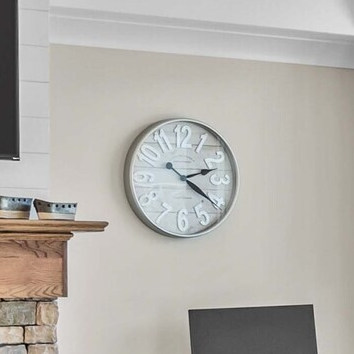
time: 2:20
